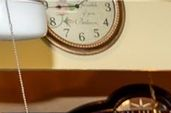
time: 1:44
